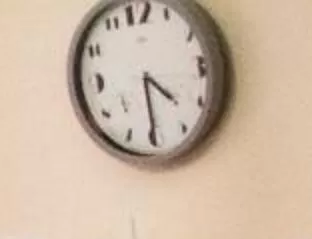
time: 4:30
